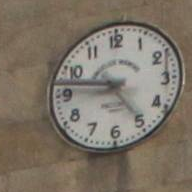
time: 4:46
